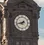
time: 7:42
